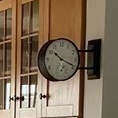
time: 10:18
